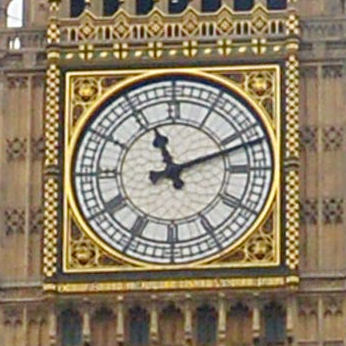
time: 11:11
